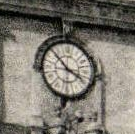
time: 3:52
